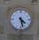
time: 4:27
